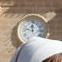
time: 11:47
